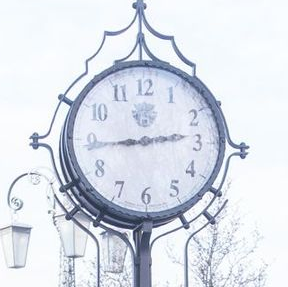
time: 2:44
